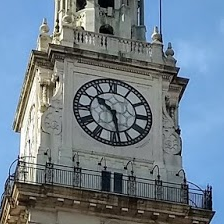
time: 10:28
